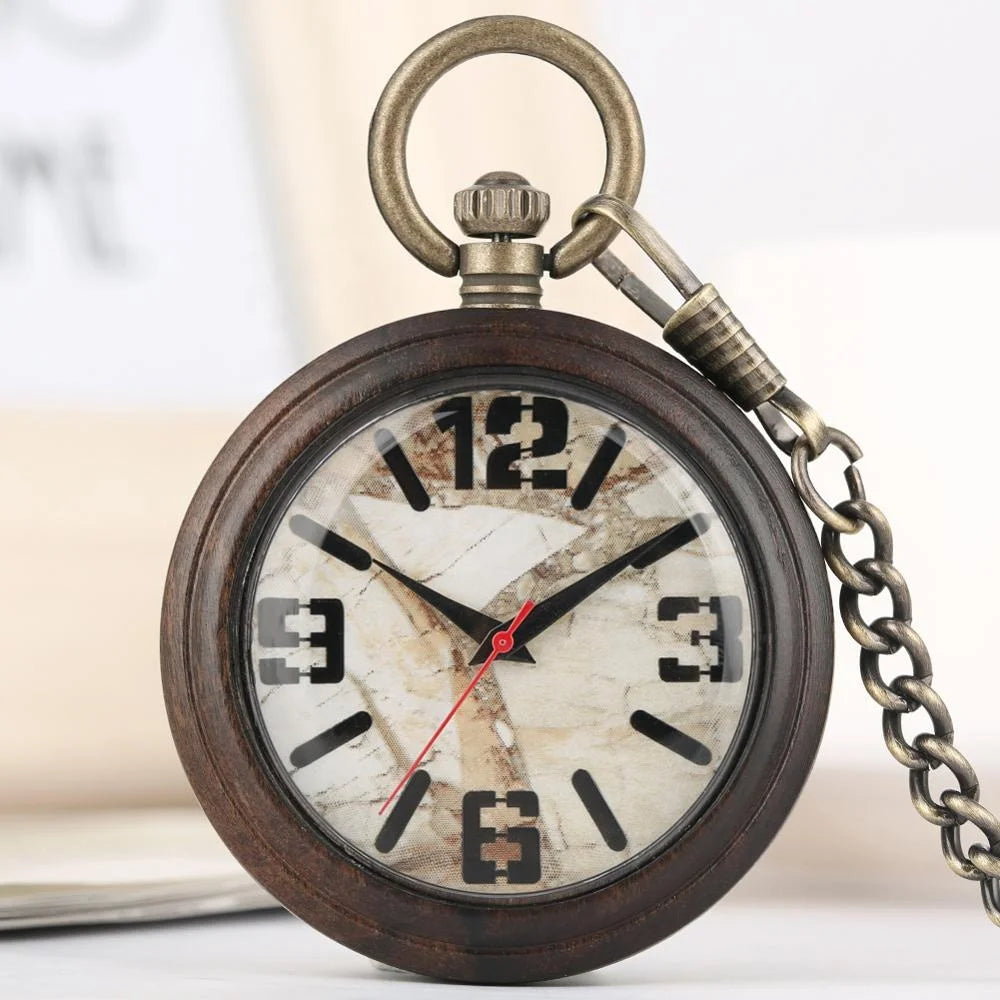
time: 1:50
